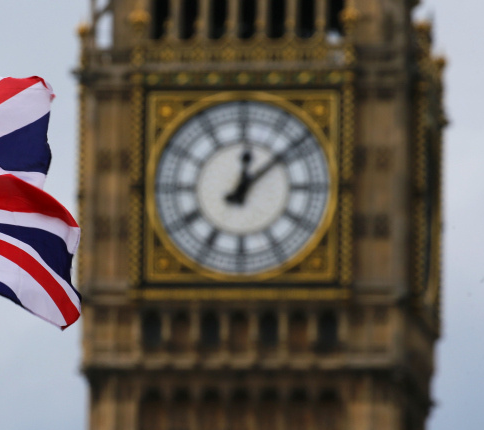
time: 12:08
